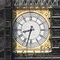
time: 8:32
